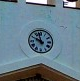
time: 9:57
